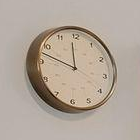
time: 11:47
